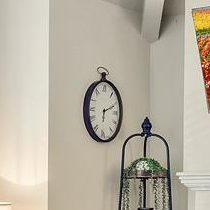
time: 6:11
